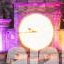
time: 9:43
